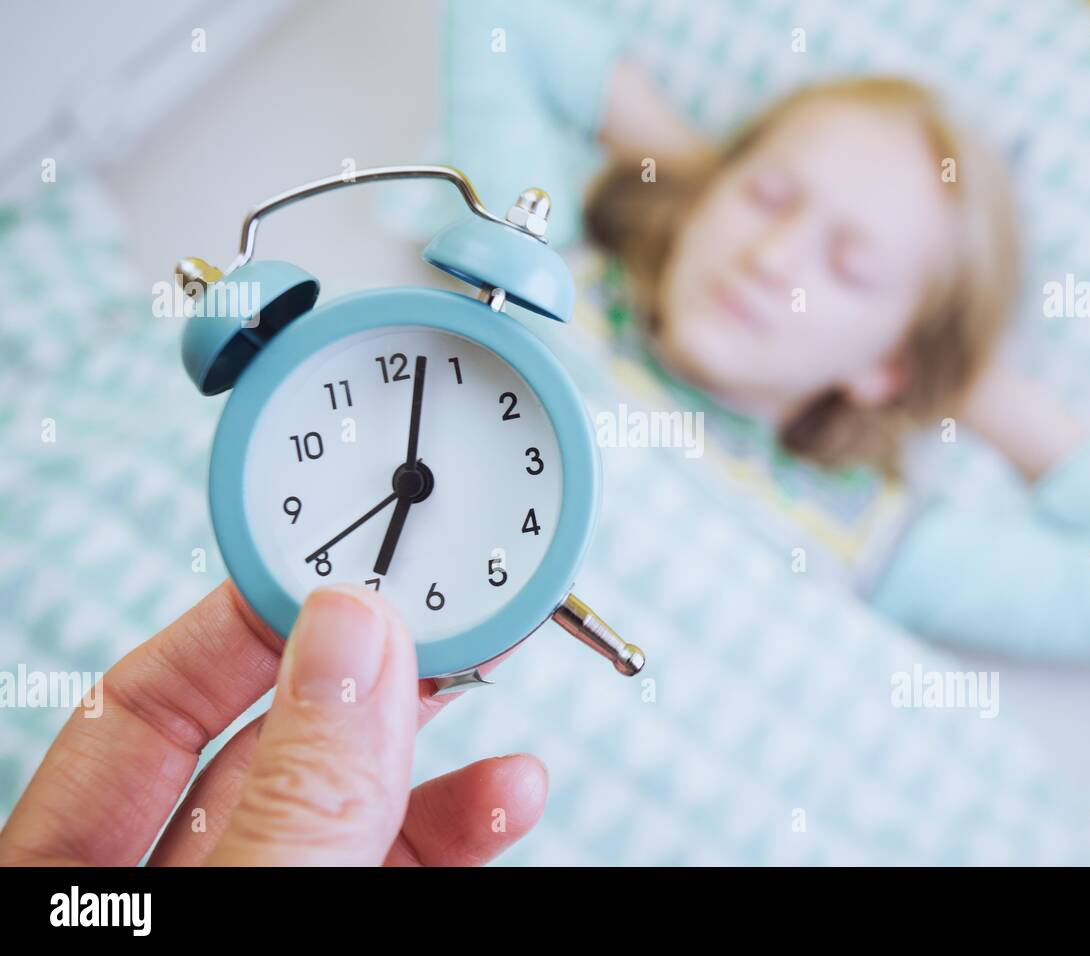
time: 7:02
